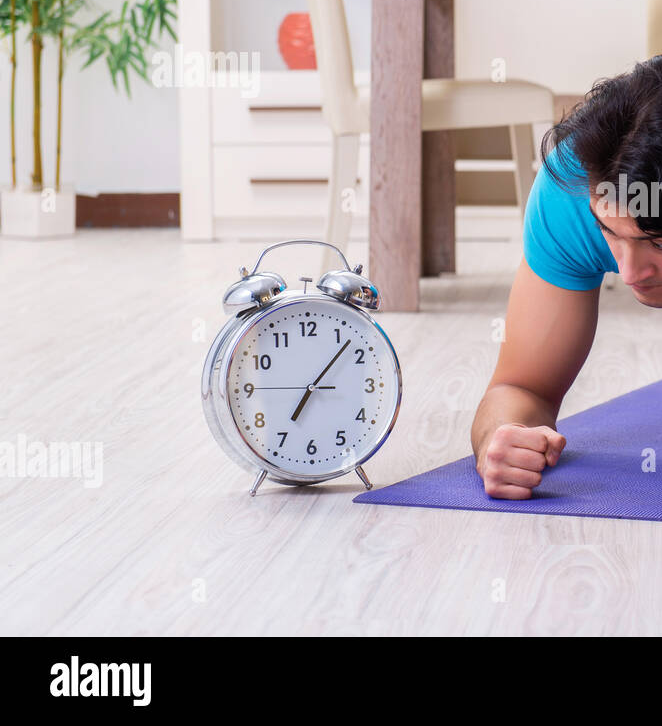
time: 7:07
